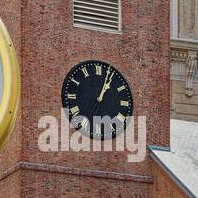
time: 1:03
